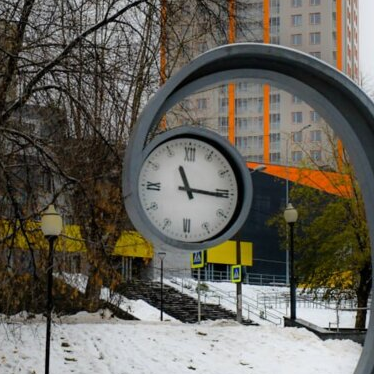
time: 11:15
